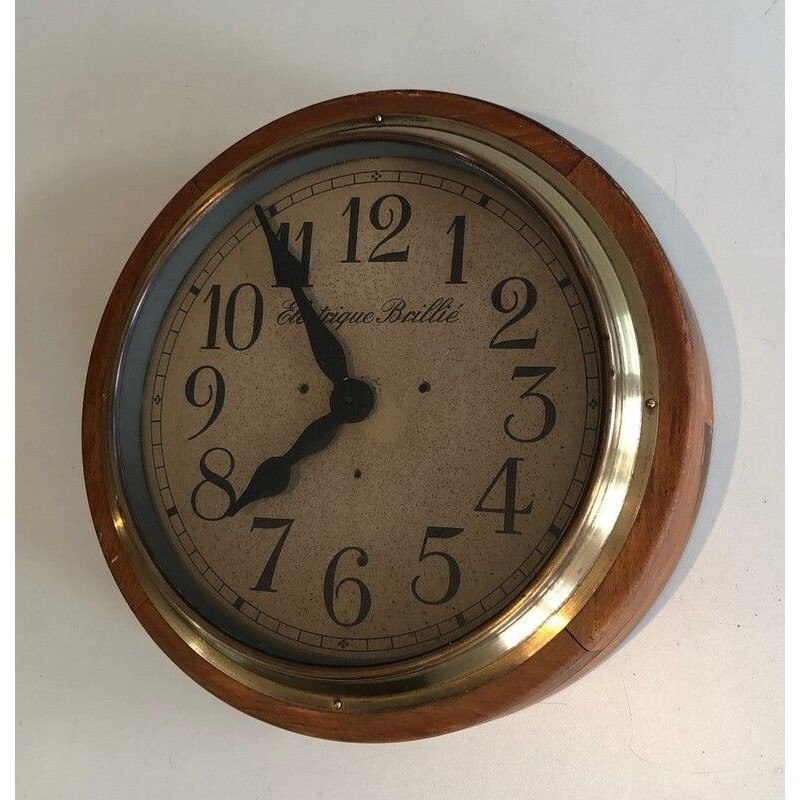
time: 7:54
